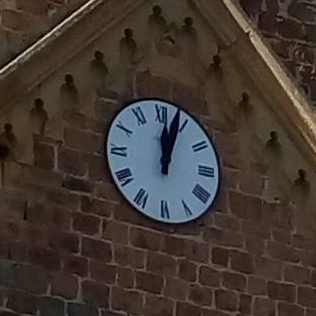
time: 12:03
